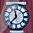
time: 11:36
